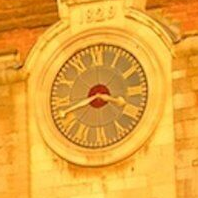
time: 3:41
